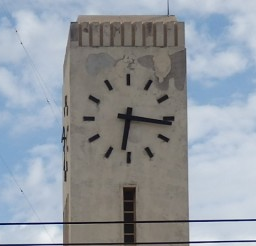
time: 6:16
